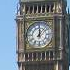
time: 12:07
